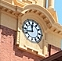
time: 11:42
